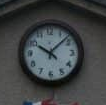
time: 10:07
